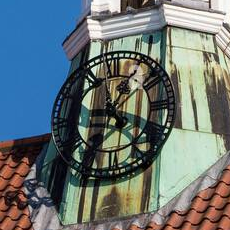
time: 1:22
